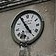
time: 4:54
